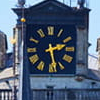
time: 2:28
